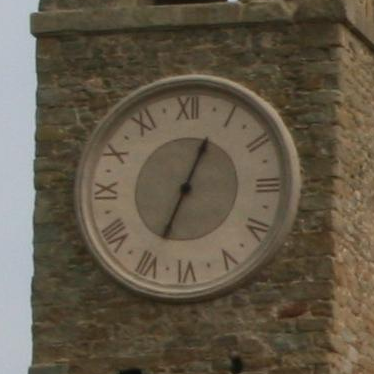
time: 12:34
